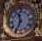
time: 11:34
